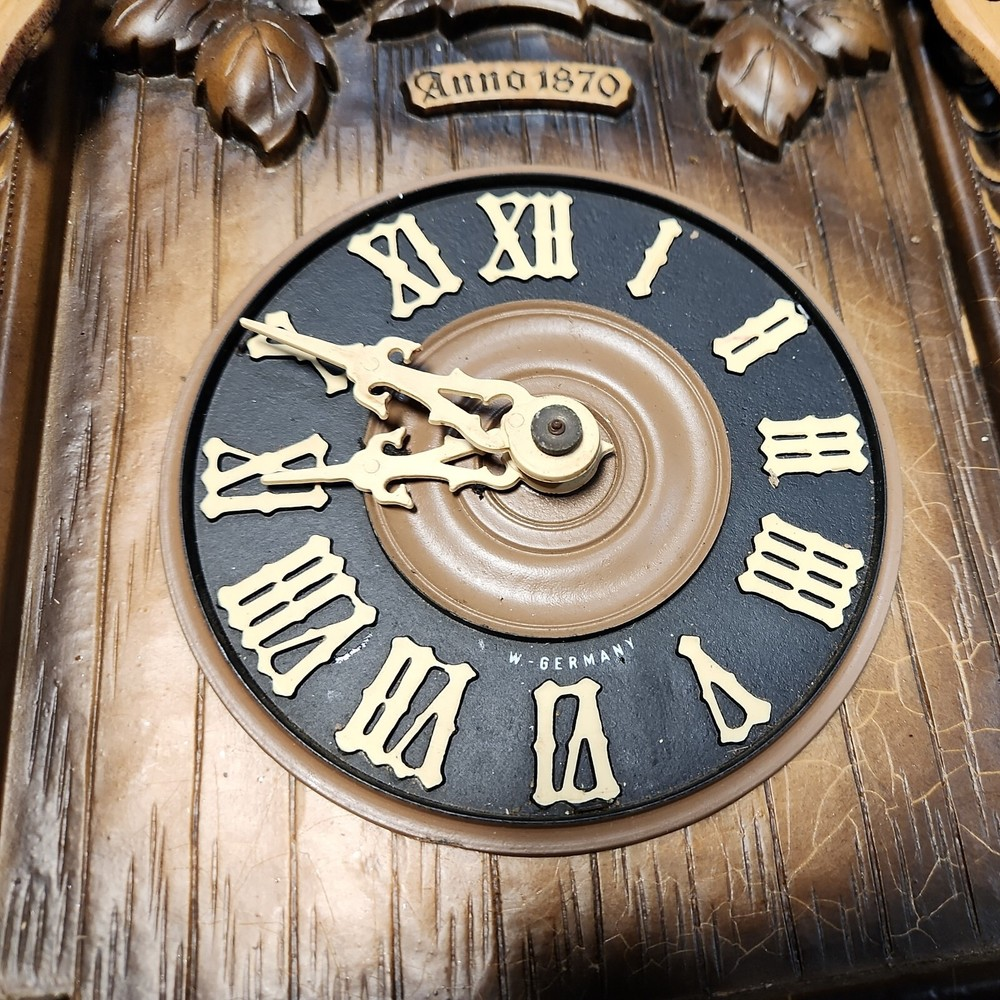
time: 8:50
